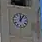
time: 12:06
